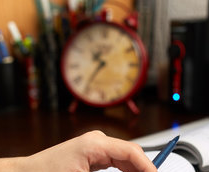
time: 10:36
